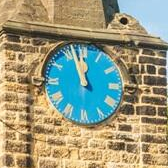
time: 11:57
